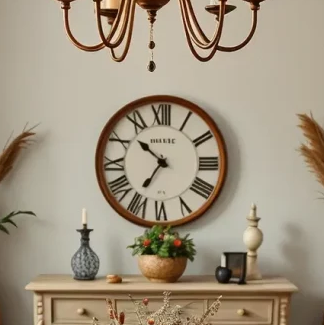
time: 10:35
